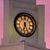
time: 6:26
